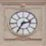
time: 2:35
